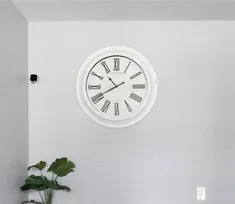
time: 10:40
